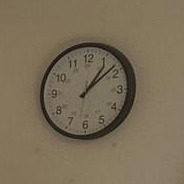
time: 1:08
